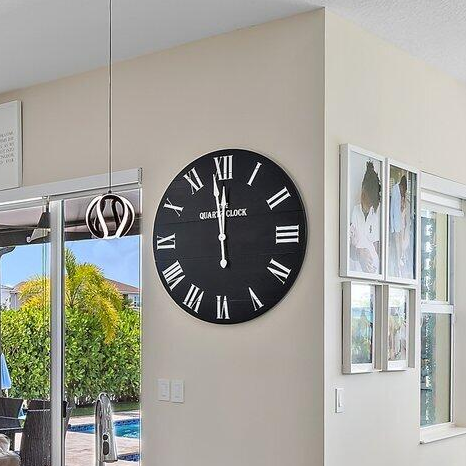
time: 11:58
